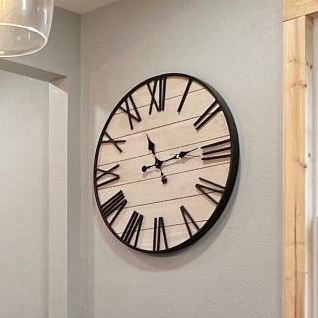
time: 11:13
